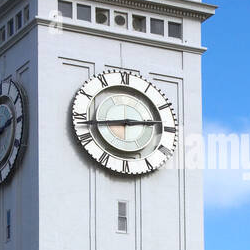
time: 2:43
